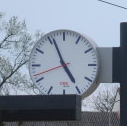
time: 4:56
